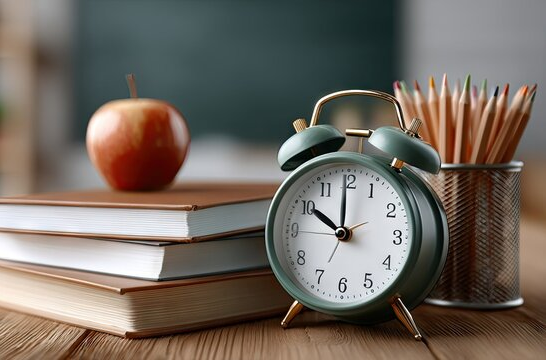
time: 10:00
